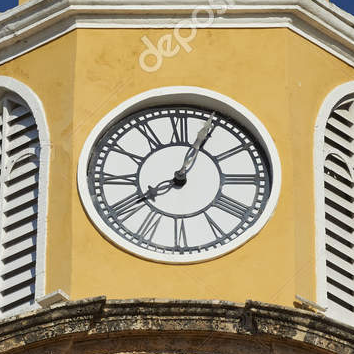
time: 8:04
